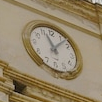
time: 11:07
